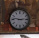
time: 2:46
